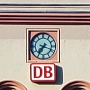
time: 7:18
